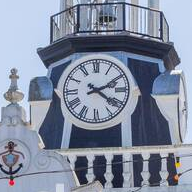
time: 4:10
